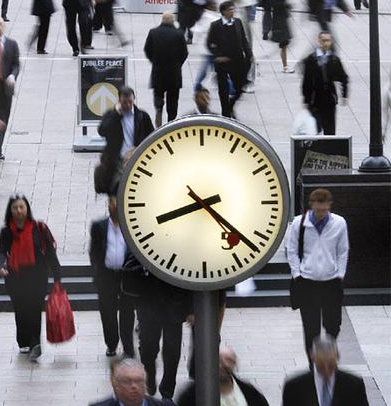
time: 8:22
